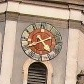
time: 4:40
